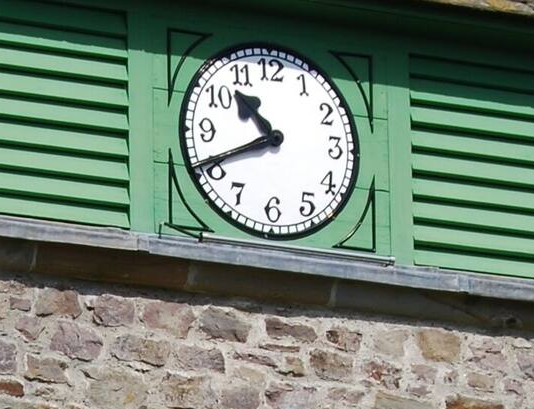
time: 10:40
